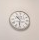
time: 10:30
